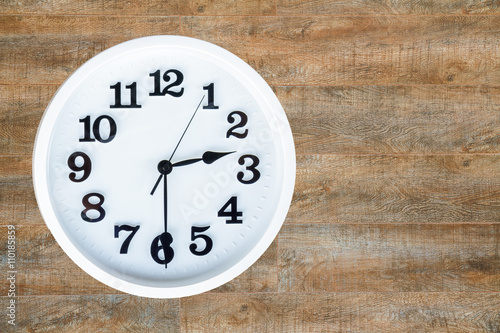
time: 2:29
